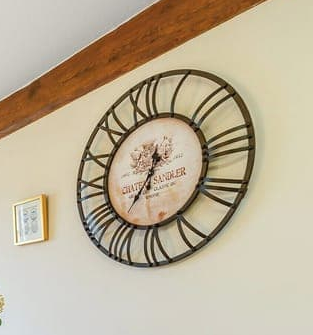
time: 12:36
